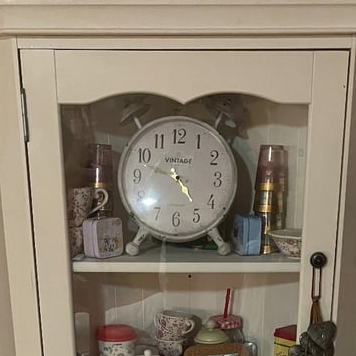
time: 4:48
